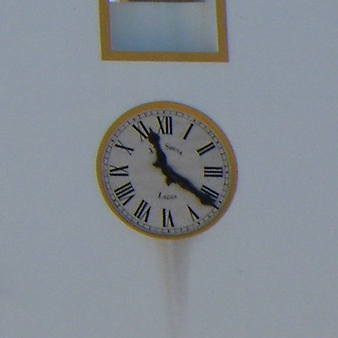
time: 11:20
